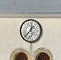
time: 12:37
